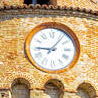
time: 9:06
